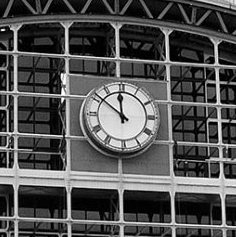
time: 11:51
